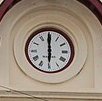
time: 5:59
